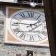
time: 1:46
